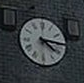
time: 4:15
